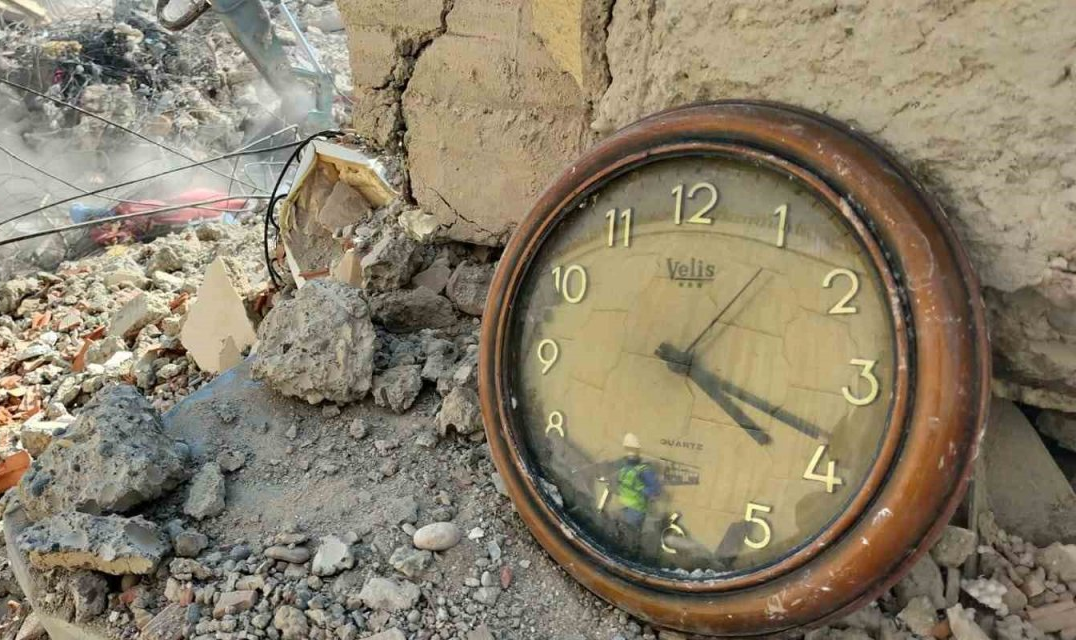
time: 4:18
